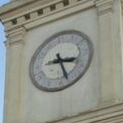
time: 3:26
